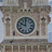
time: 9:59
